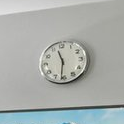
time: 11:31
